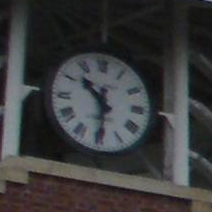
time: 10:30
